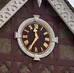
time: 11:35
